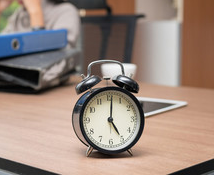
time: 5:01
